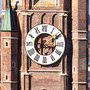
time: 6:17
